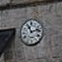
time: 11:12
